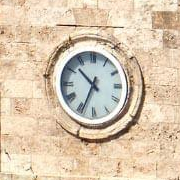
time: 10:34
